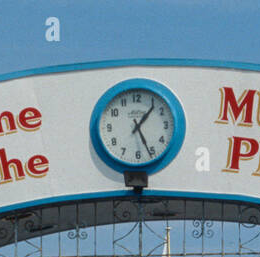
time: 1:26
